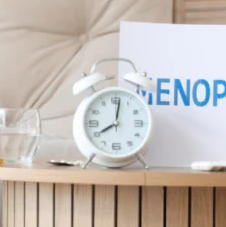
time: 8:01
